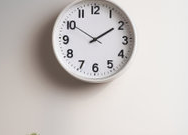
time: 1:50
